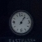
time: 1:06
